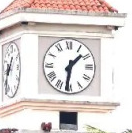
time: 1:31
